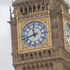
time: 11:42
